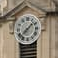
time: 7:07
